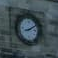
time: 8:09
